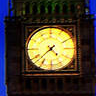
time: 4:37
